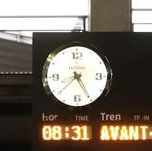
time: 8:25
